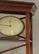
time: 11:46
